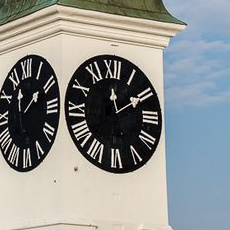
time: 12:10
